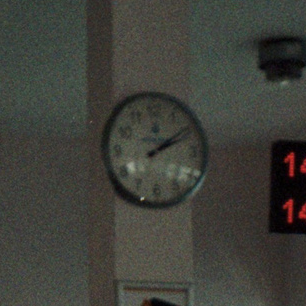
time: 12:09
